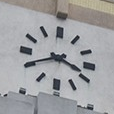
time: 3:40
